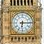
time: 6:14
